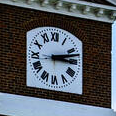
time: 3:12
